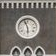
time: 5:57
